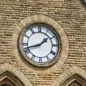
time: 1:42
